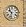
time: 10:32
